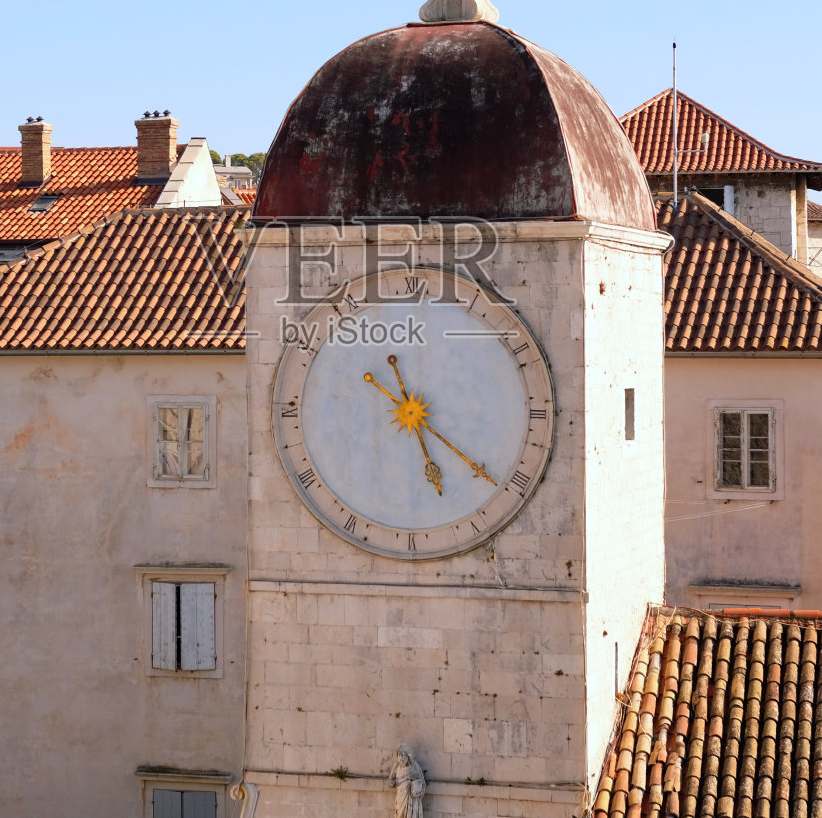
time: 5:21
